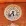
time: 5:36
